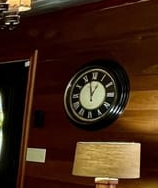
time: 12:58
